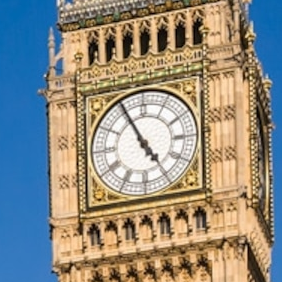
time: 4:55
